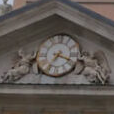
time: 7:18
